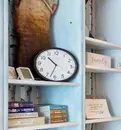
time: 10:32
